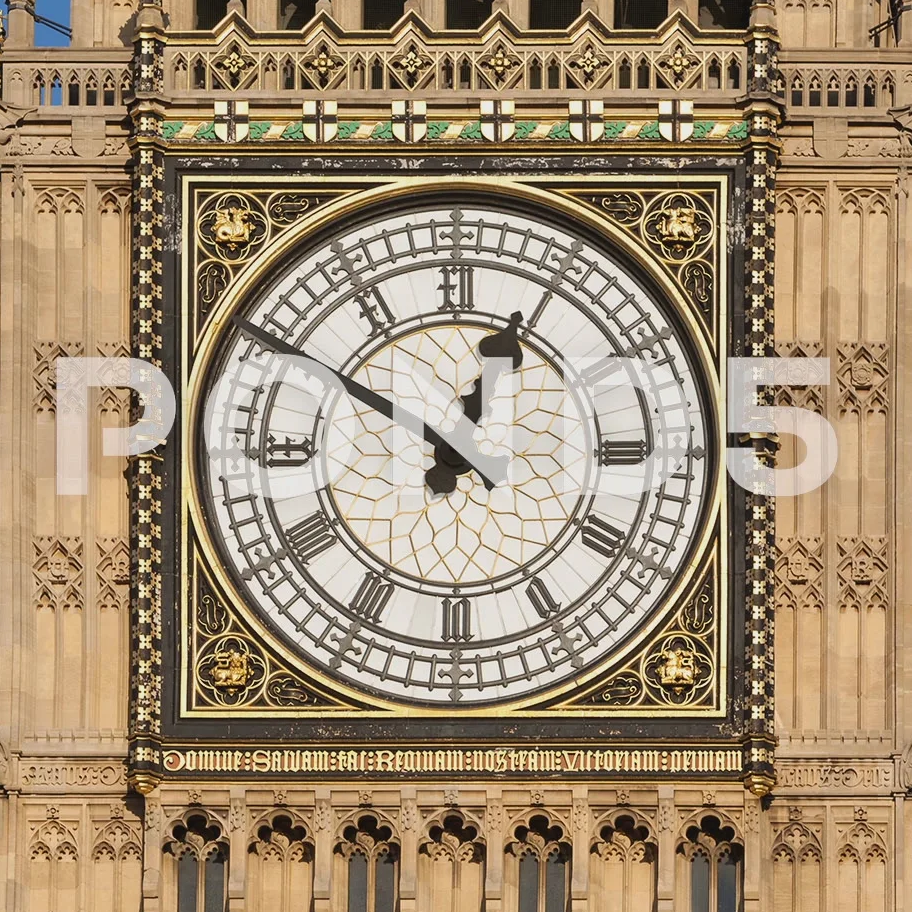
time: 12:50
